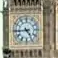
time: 4:44
